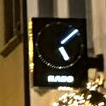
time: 5:08
